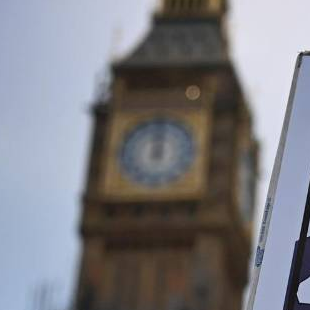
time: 12:00
